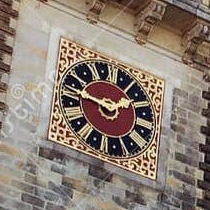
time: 1:46
